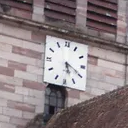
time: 5:19
